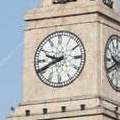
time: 9:41
